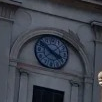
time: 3:52
